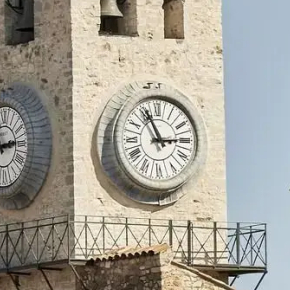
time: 2:55
